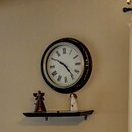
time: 4:50
